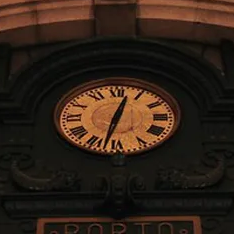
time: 12:32
